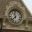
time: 11:37
